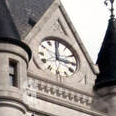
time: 2:59
